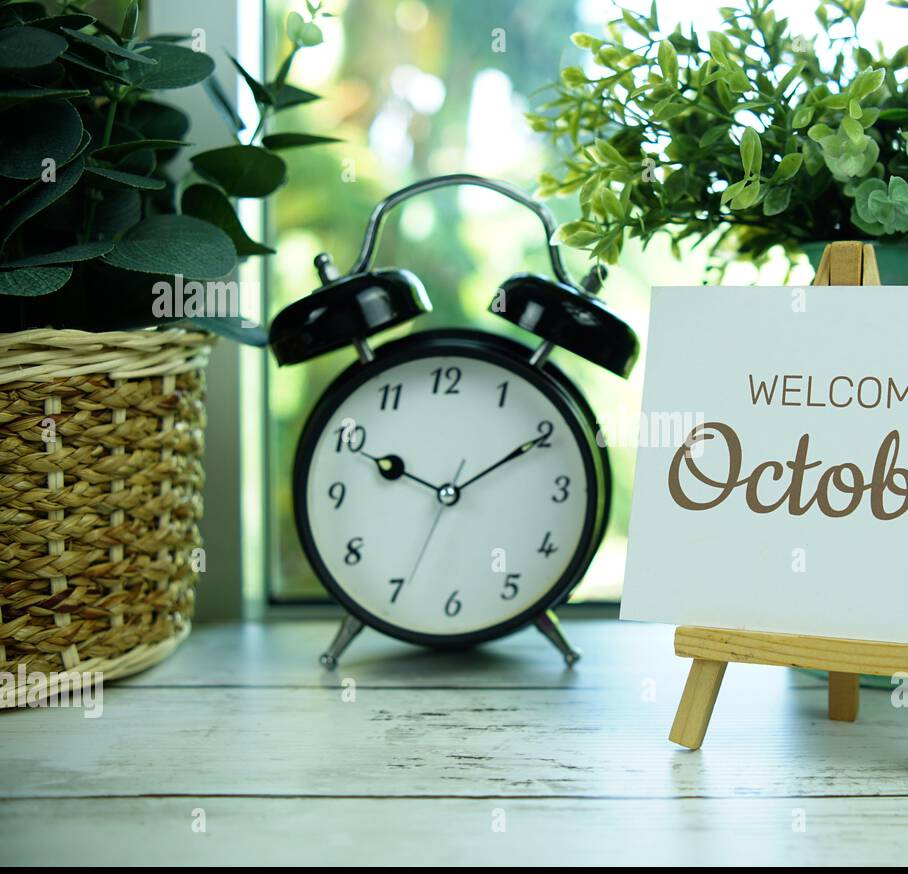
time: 10:10
